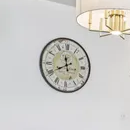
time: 11:40
